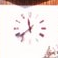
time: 11:38
